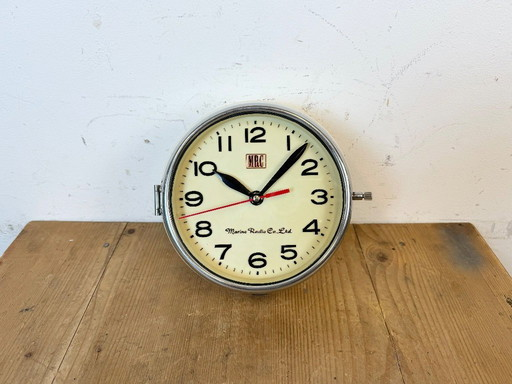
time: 10:07
